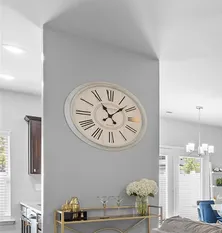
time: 11:07
